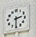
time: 2:30
